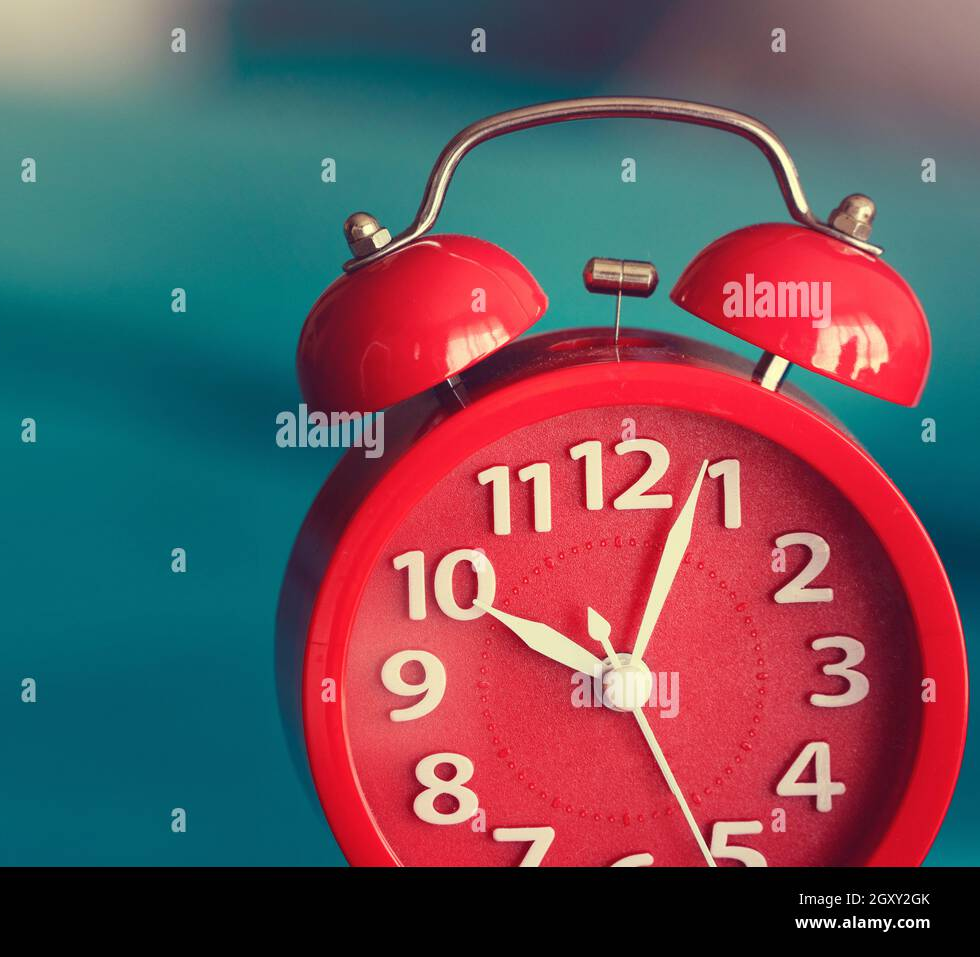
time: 10:03
